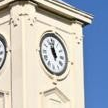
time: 10:58
